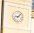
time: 9:07
